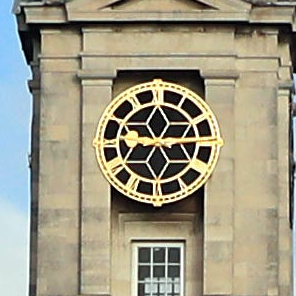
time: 9:13
